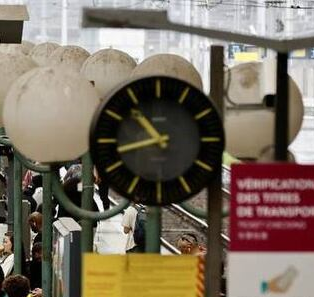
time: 10:42
